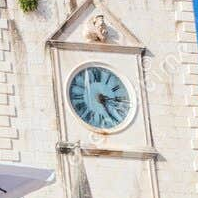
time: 5:15
